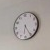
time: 6:25
